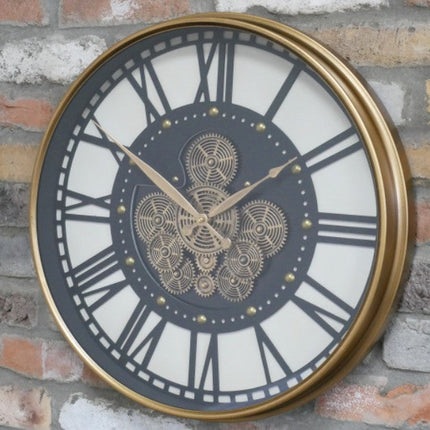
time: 1:50
